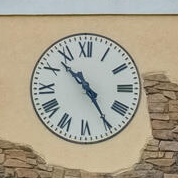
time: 10:24
